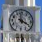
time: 3:58
